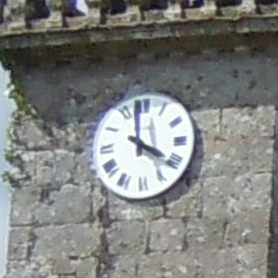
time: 3:58
